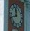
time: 11:41
